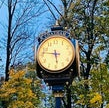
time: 5:46
